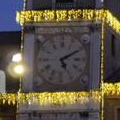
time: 5:09
